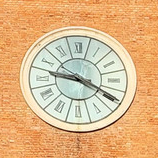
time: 9:20
